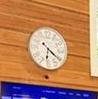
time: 6:21
